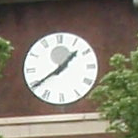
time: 1:39
